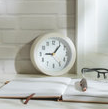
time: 9:06
